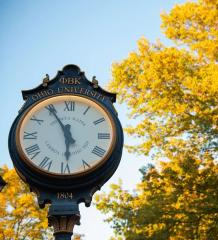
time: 5:54
